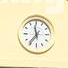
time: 11:36
